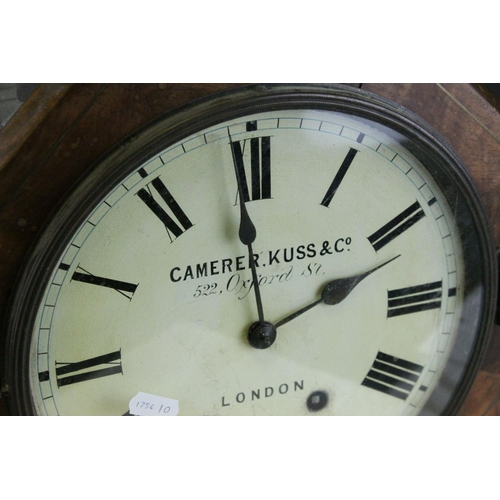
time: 1:59
